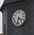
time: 4:32
